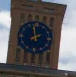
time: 1:57
